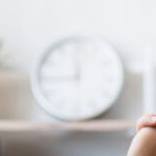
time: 11:44
